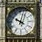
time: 10:02
